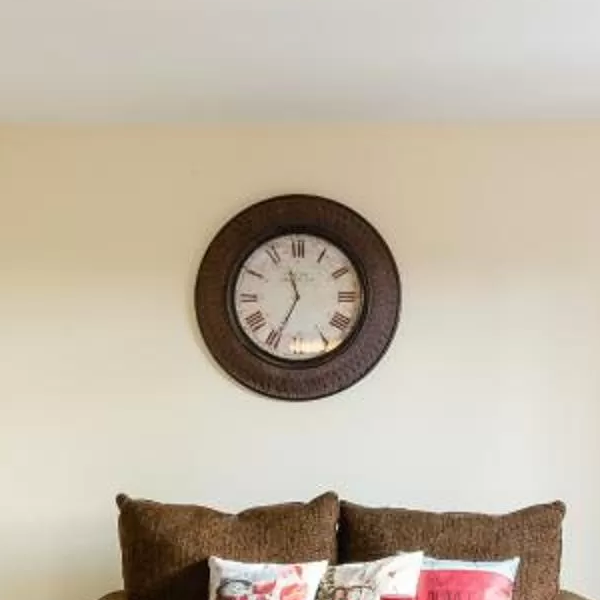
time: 11:34
